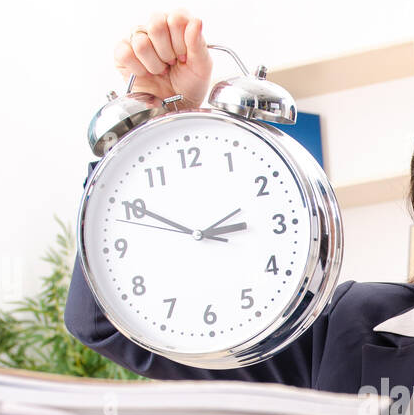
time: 2:50
